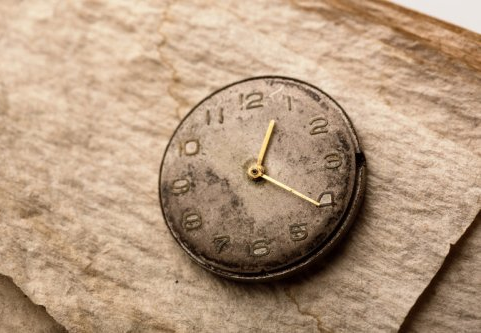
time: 12:20
